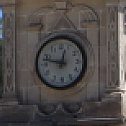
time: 12:47
